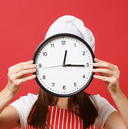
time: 12:15
